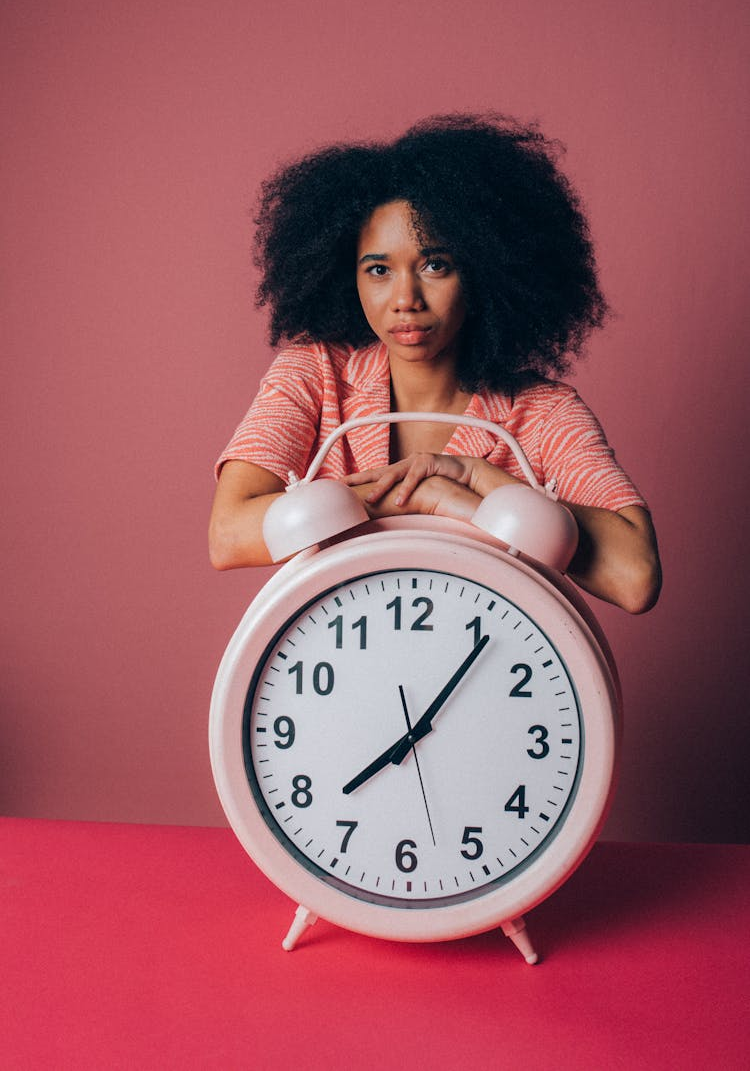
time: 8:06
